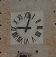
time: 9:02
